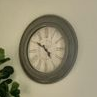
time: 4:50
